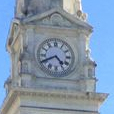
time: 4:40
